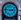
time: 2:46
